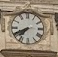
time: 7:40
